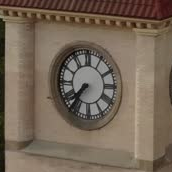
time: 7:36
